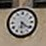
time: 6:21
